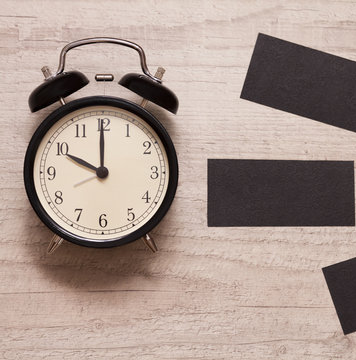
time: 10:00
